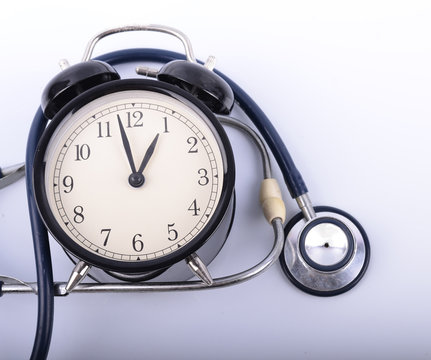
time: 12:57
